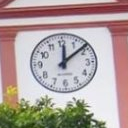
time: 12:08
